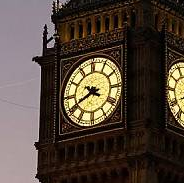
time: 3:40
